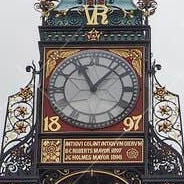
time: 11:07
